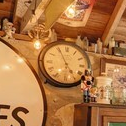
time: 4:56
